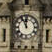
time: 11:55
